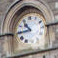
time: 10:44
